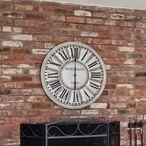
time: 6:00
